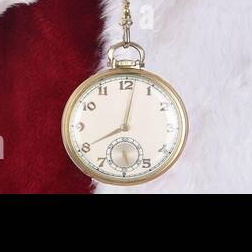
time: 8:01
